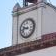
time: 9:43
